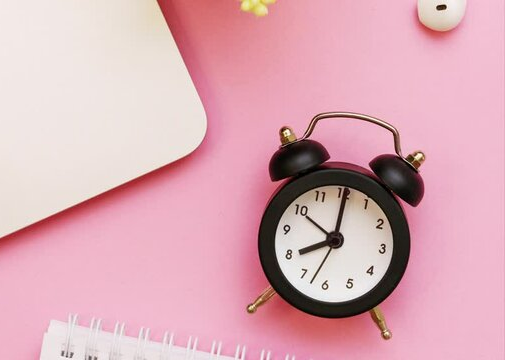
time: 8:00
